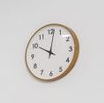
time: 10:01
